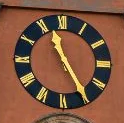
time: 11:24
